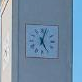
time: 5:02
